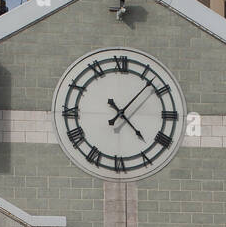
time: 1:22
